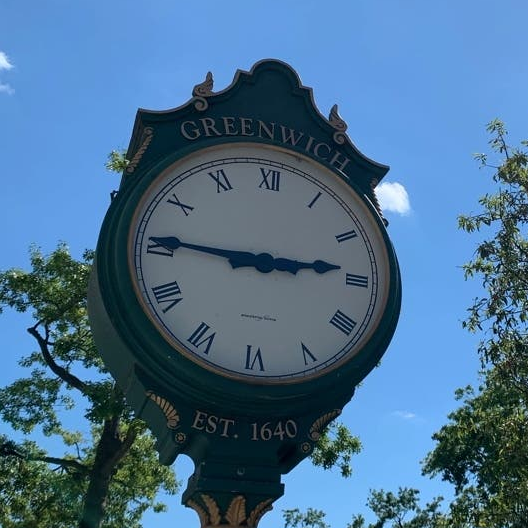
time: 2:45
